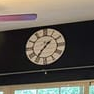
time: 1:36
